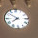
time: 7:51
